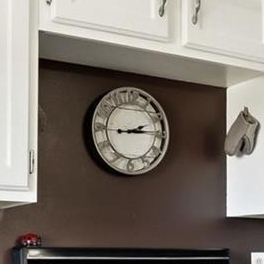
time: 2:14
